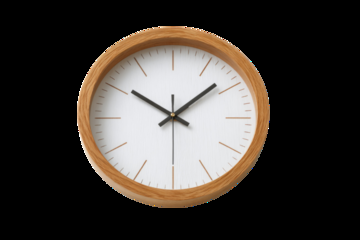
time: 10:08
